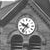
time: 9:36
